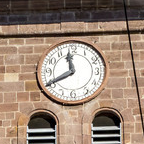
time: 11:40
